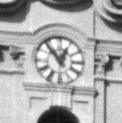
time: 12:53
